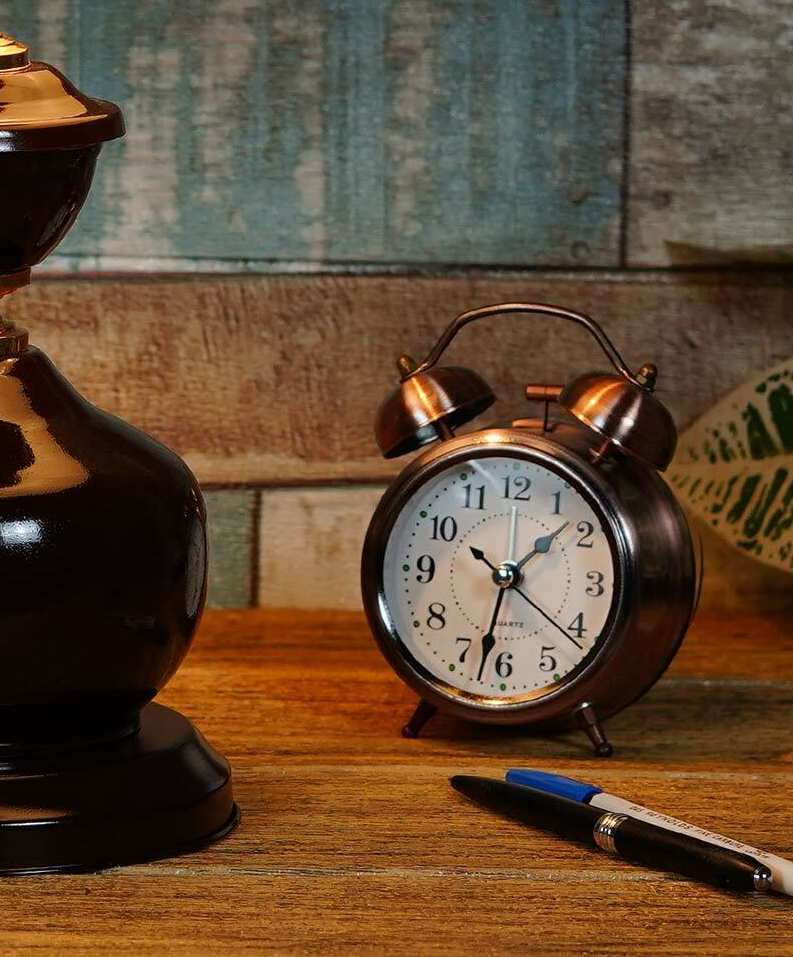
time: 1:32
